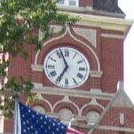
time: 6:56
